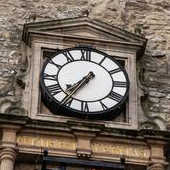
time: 7:35
